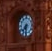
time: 7:31
